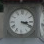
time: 3:19
